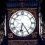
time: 6:24
